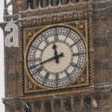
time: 11:42
